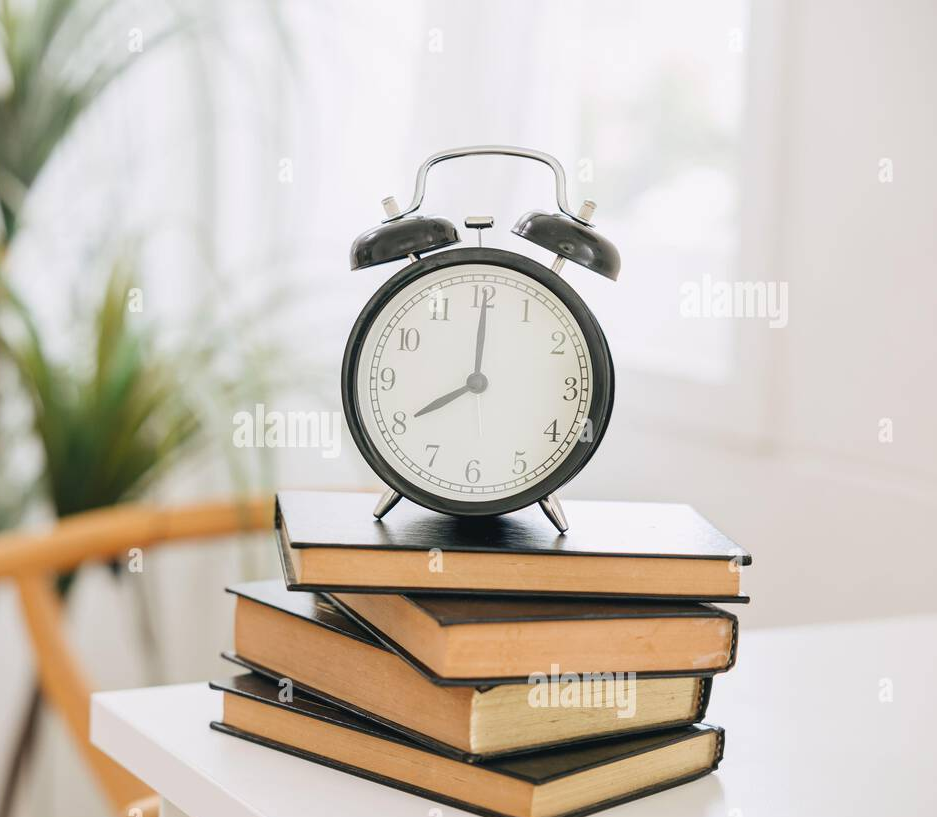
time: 8:00
